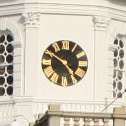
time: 4:50
